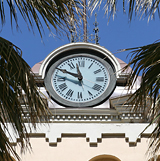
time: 9:57
